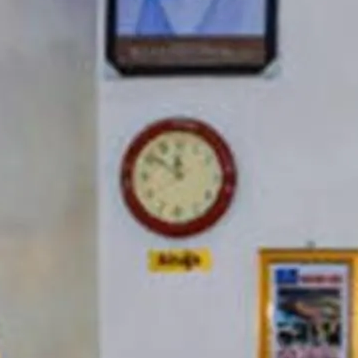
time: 11:51
